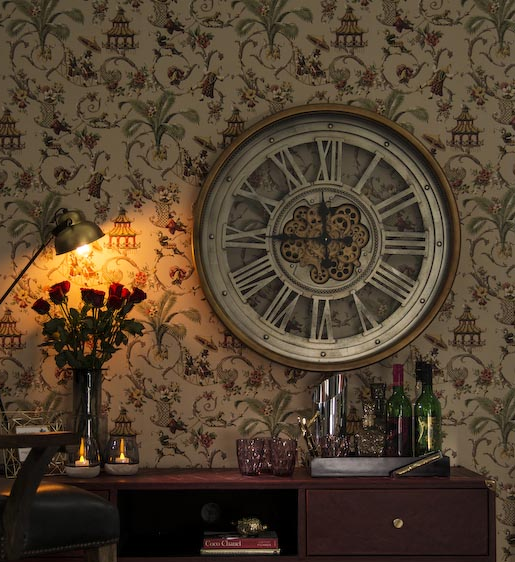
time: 11:45
